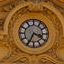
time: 3:34
